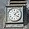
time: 4:07
